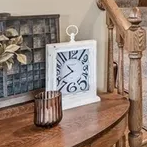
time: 10:40
